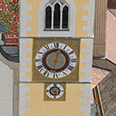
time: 12:32
